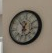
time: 10:32
